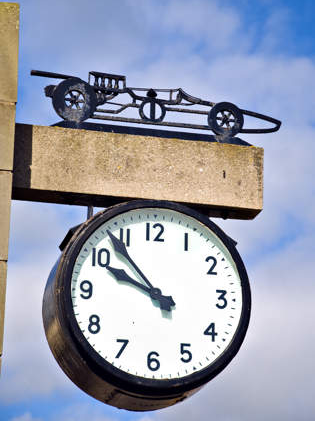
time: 9:53
